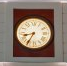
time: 8:34
